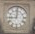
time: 9:01
